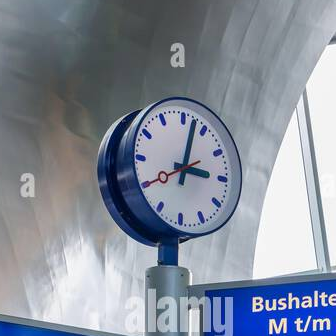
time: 3:02
